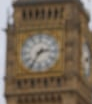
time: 2:35
